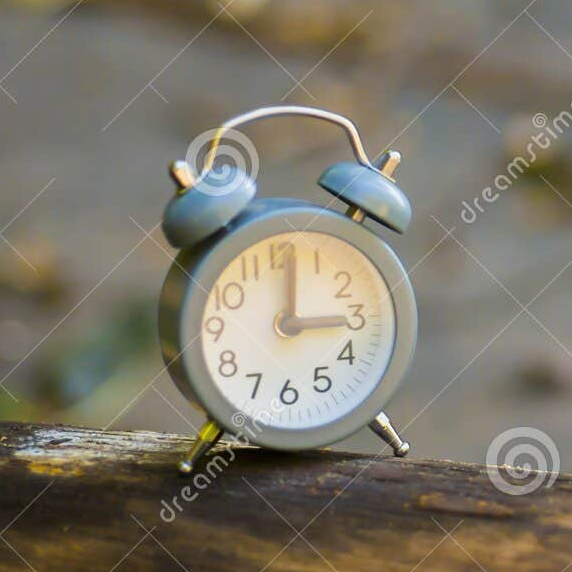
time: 3:01
